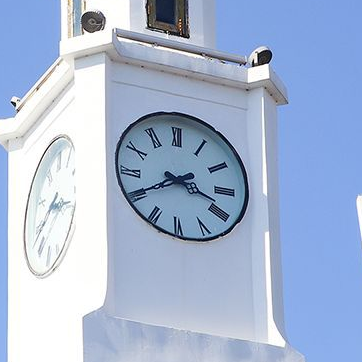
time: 3:40
